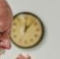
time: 12:06
